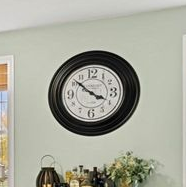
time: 3:52
